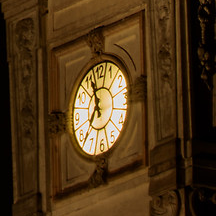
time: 11:37
